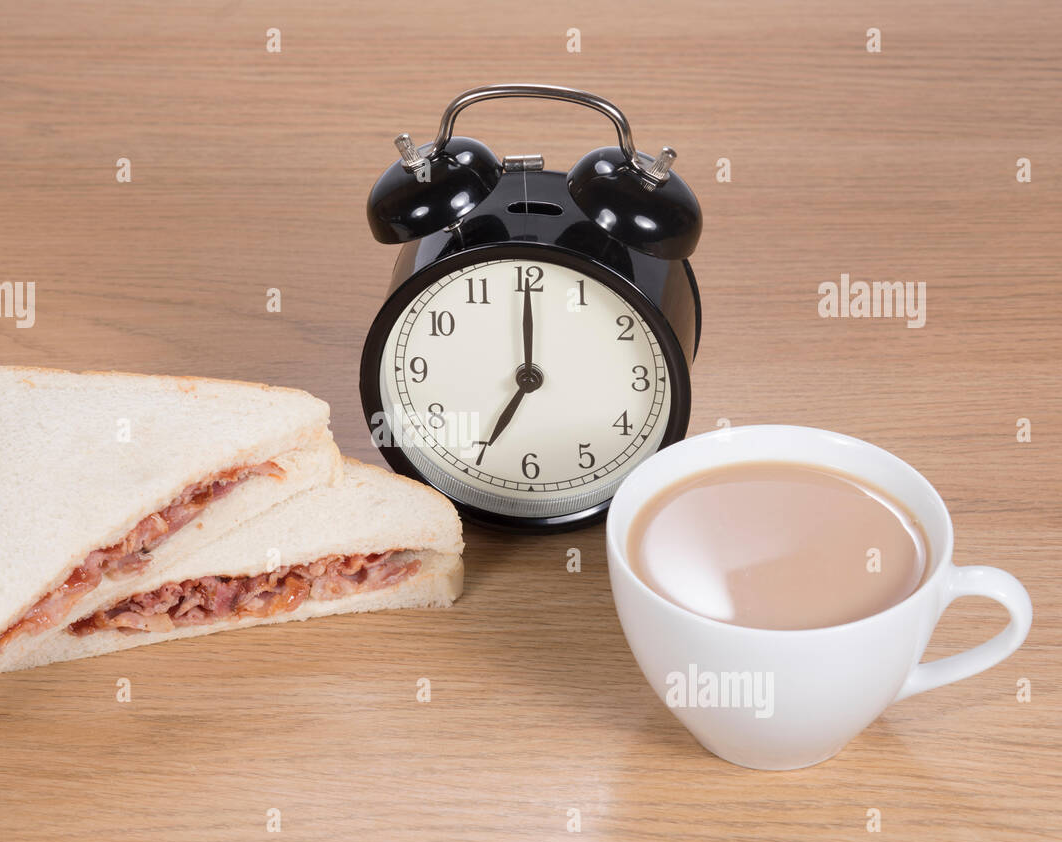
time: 7:00
